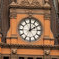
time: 2:00
